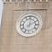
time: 12:10
